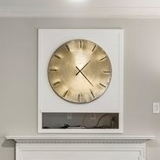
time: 1:22
